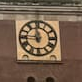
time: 11:45
